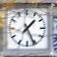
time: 1:26
